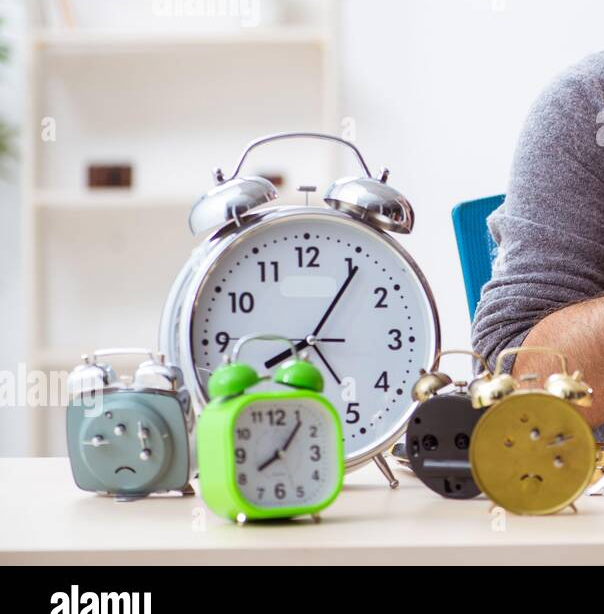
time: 8:06
